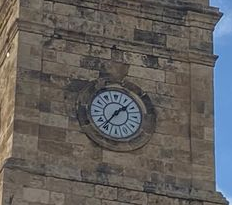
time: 1:36
